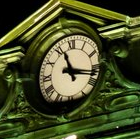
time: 11:17
